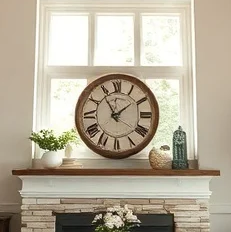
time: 1:54
